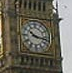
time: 10:17
